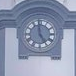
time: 4:59
